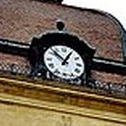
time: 12:52
